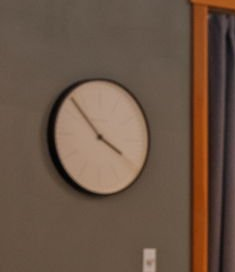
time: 3:52
